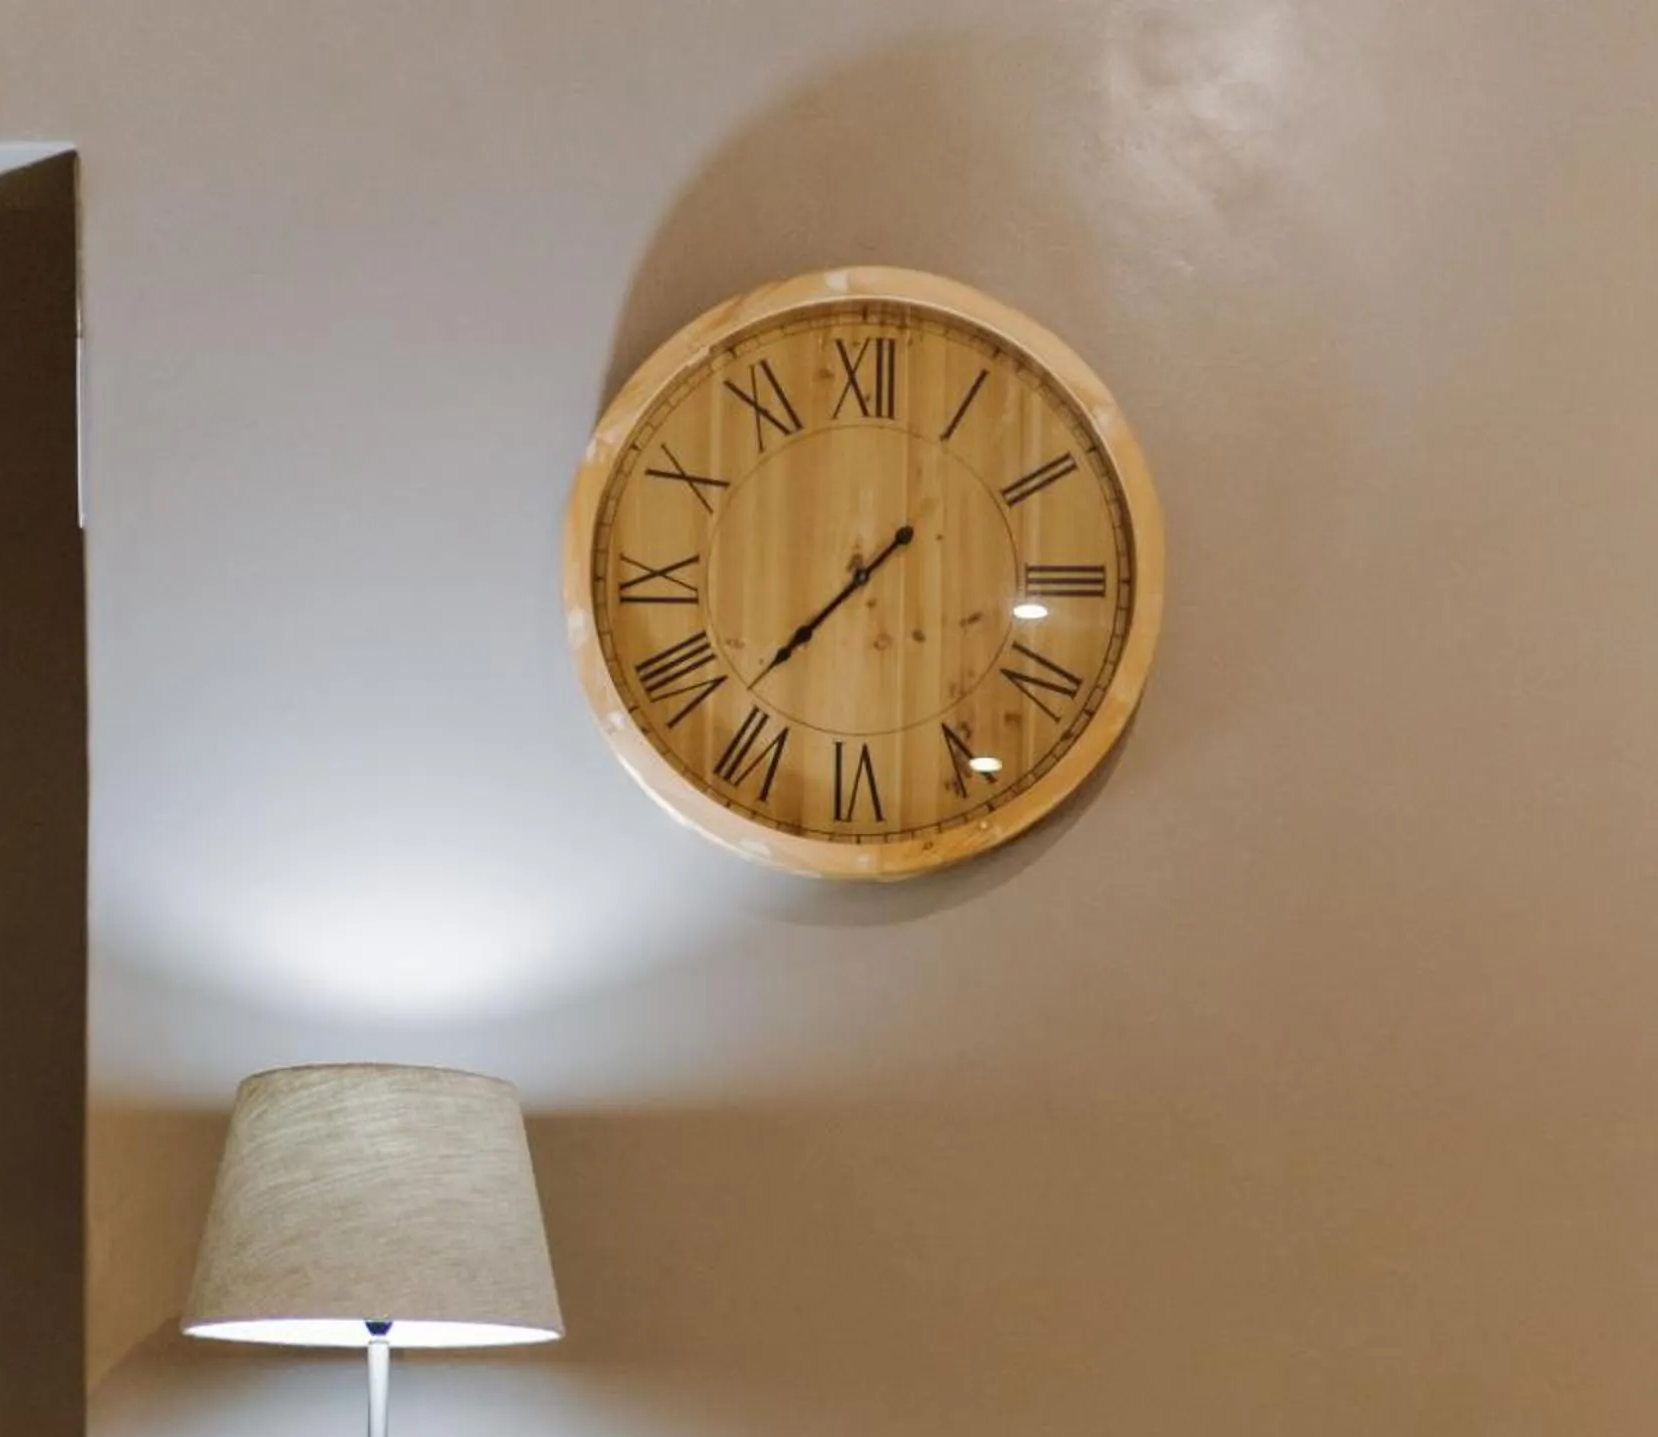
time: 7:37
